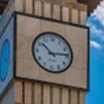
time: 10:13
